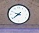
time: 9:38
